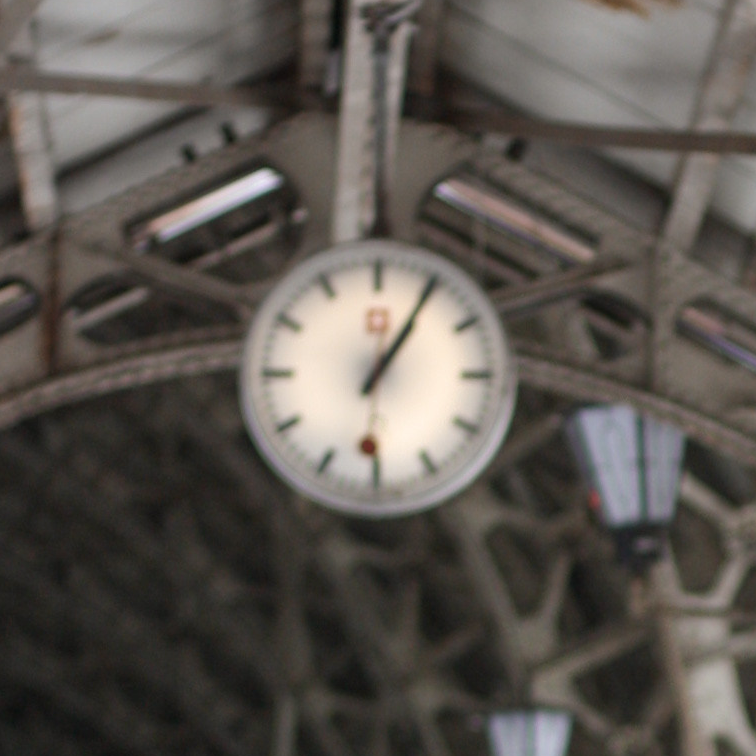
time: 1:05
